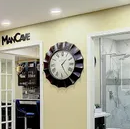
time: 1:25
